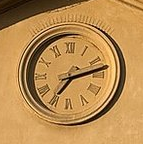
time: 7:13
